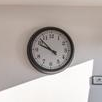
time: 9:52
